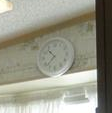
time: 10:37
